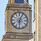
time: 6:03
